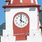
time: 4:00
